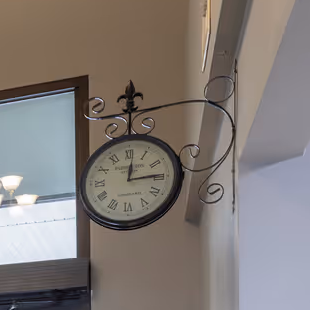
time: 12:14
